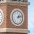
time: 1:12
